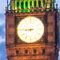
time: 8:45
